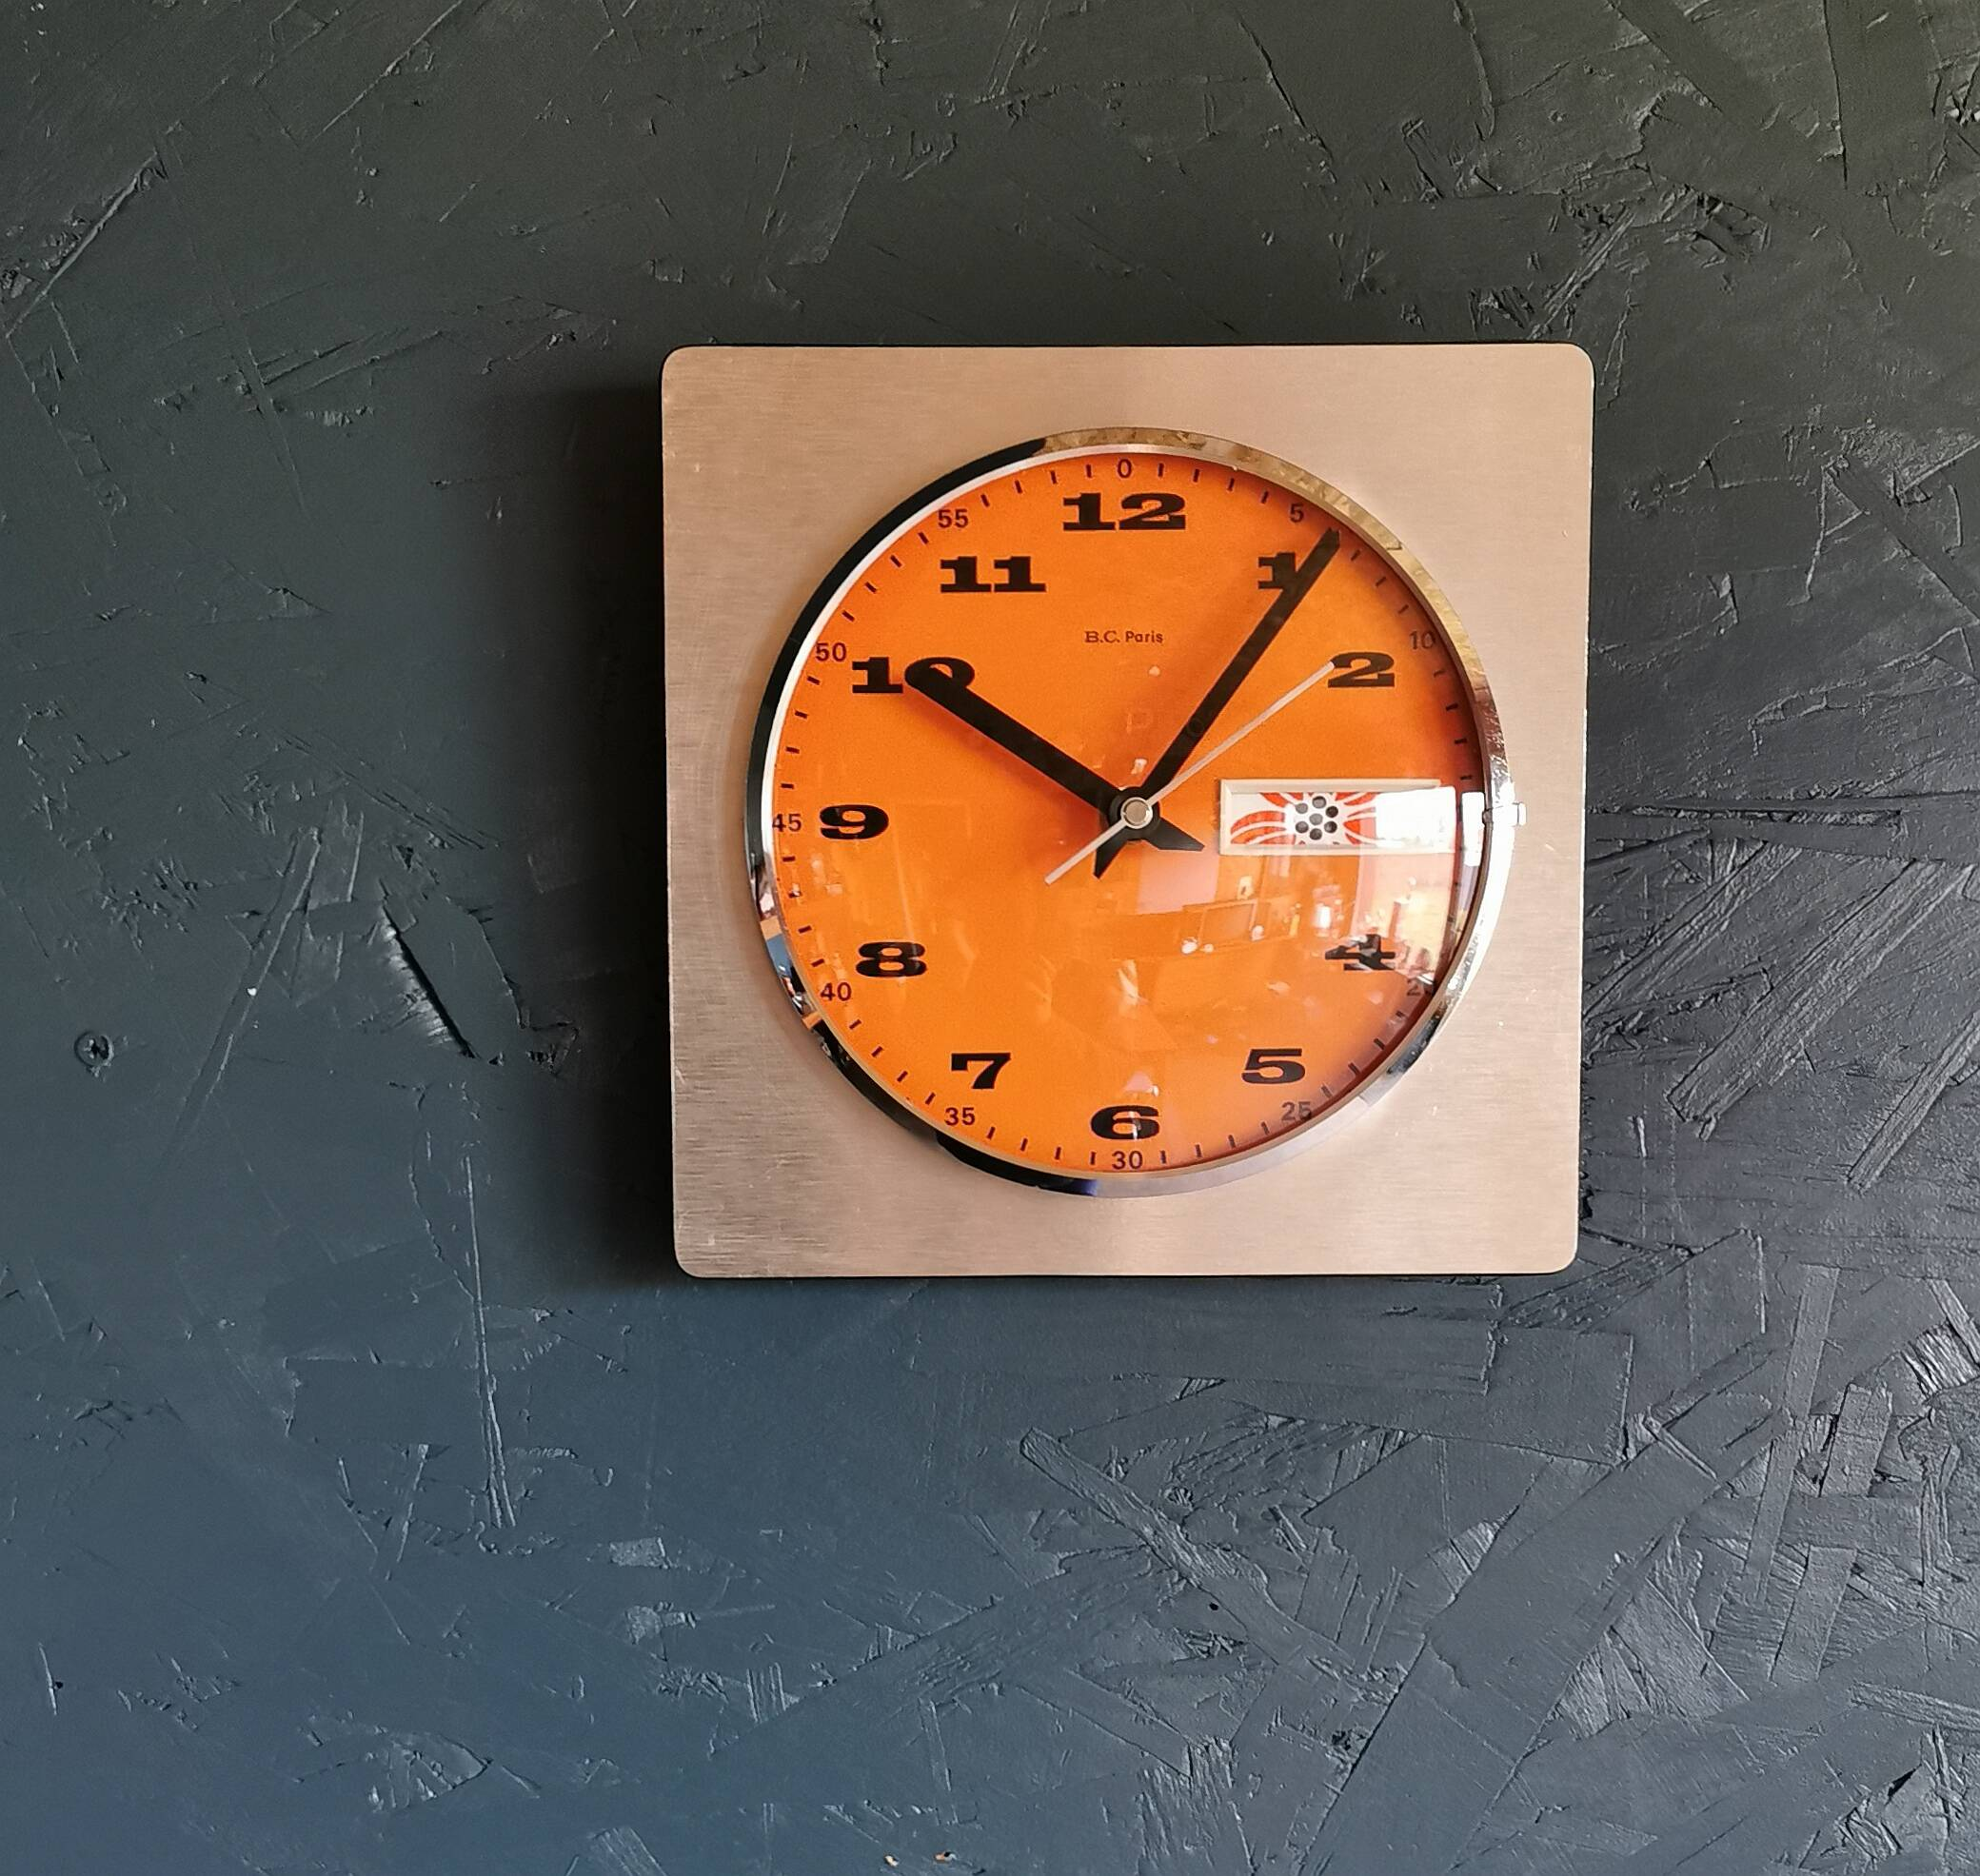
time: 10:06
